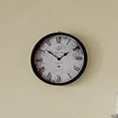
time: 1:51
